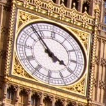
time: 3:53
